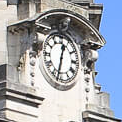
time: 12:32
